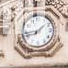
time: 1:43
